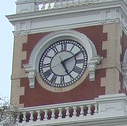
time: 5:10
